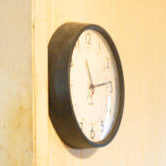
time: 11:13
